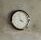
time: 3:58
